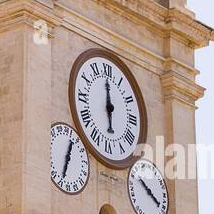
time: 5:59
